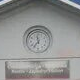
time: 11:36
